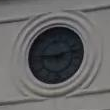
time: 9:12
